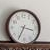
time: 3:34
